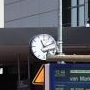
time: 11:11
